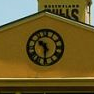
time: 10:30
